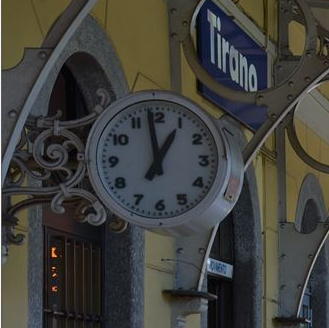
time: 12:58
